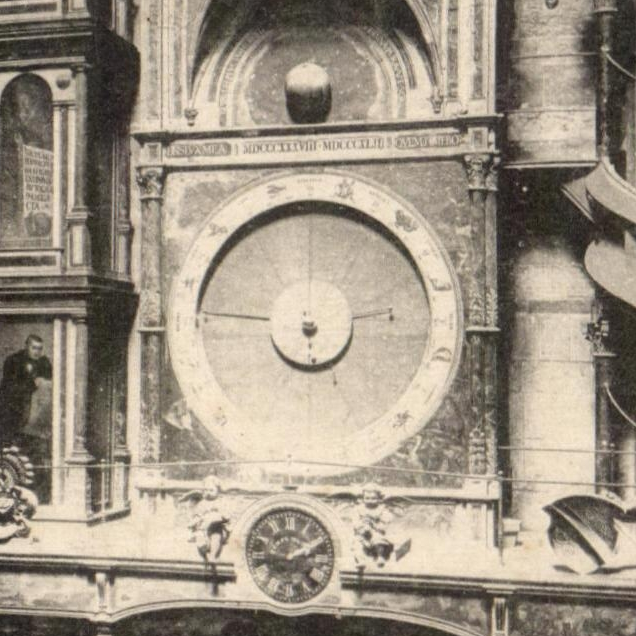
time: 9:12
